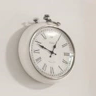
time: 12:49
